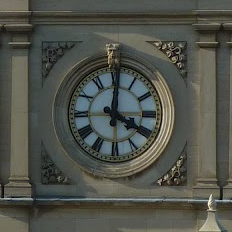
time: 4:00
